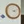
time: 4:12
